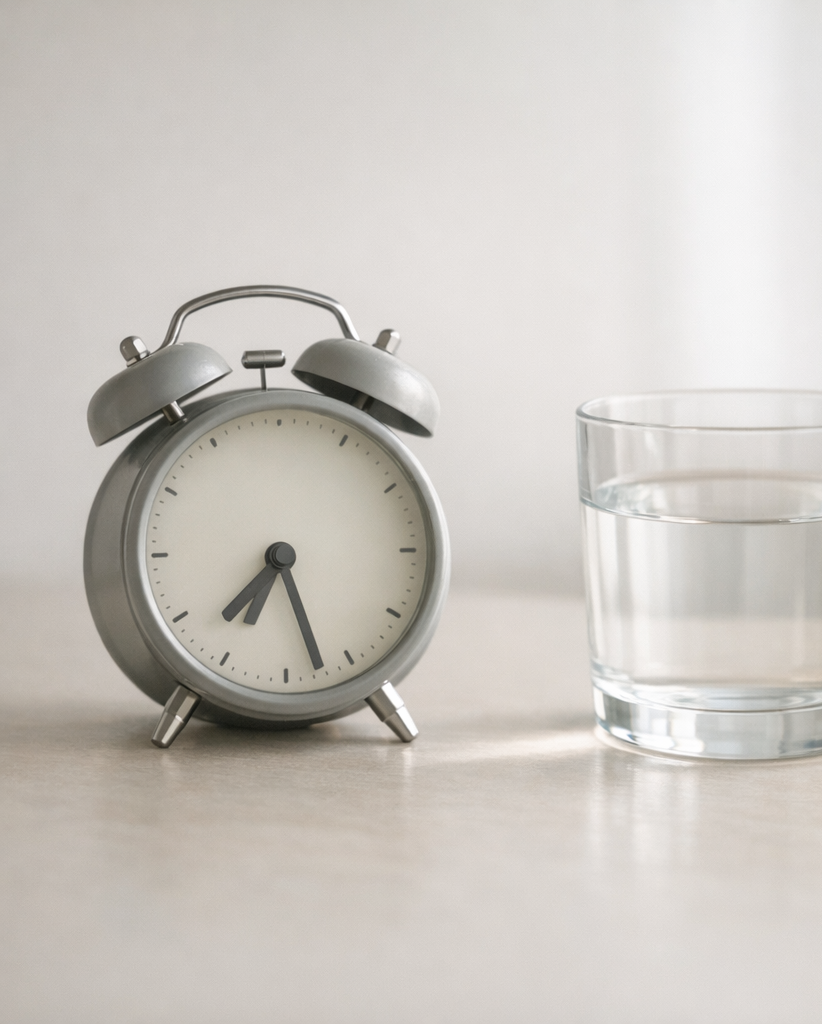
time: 7:27
